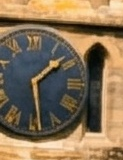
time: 1:28
